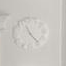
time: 11:23
